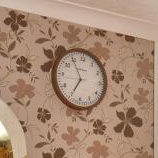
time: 6:54
